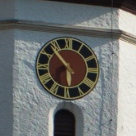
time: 5:53
